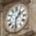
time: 1:32
